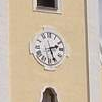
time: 2:26
